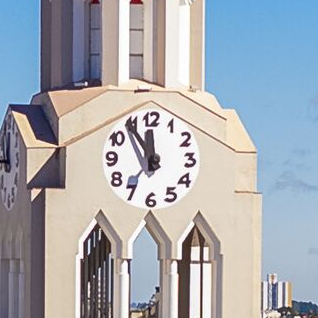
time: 11:54
